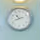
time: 10:41
